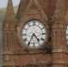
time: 4:34
